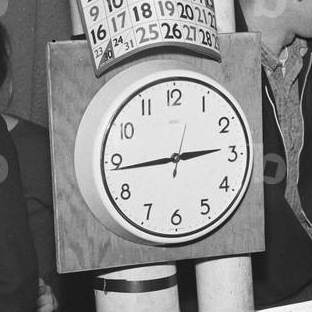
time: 2:43
